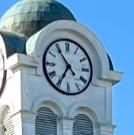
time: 6:54
